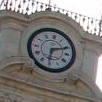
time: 6:11
